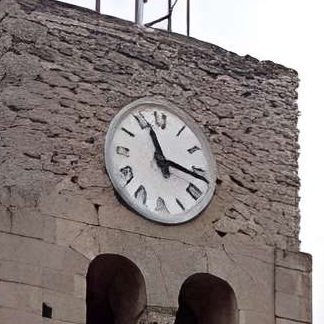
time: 11:16
